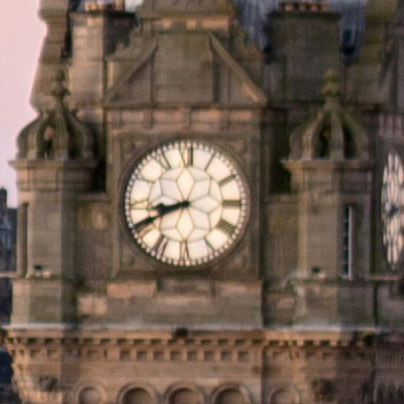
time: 8:40
